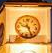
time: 9:25
